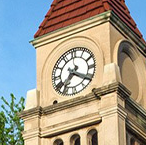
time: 7:20
